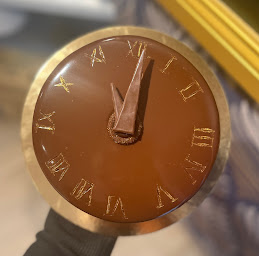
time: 11:02
